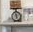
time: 5:57
